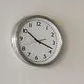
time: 10:18
